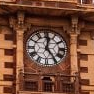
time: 12:23
